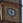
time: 4:00
